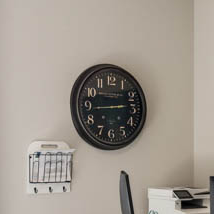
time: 2:44
